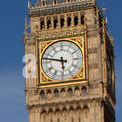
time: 5:47
